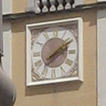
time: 2:09
